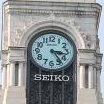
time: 3:23
